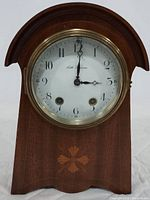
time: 3:00
